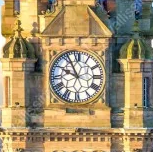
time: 9:56
